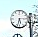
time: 5:33
